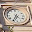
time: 4:34
